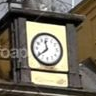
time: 11:38
